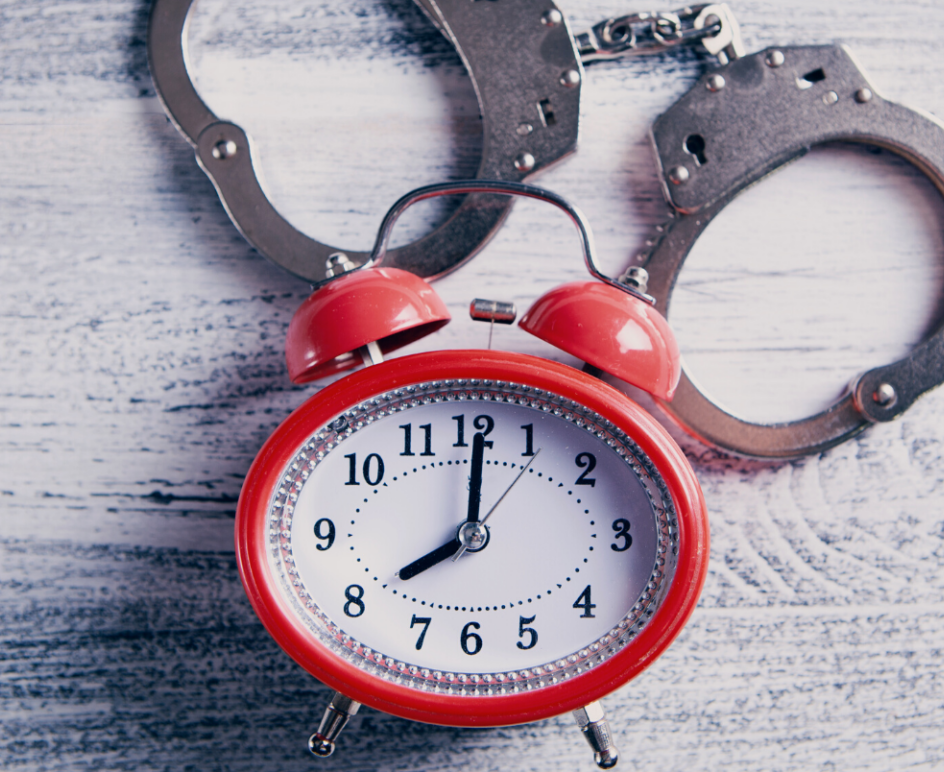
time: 8:01
